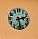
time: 2:27
